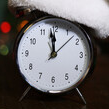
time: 11:58
